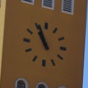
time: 10:56
